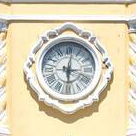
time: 6:01
